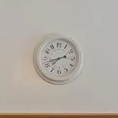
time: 7:42
